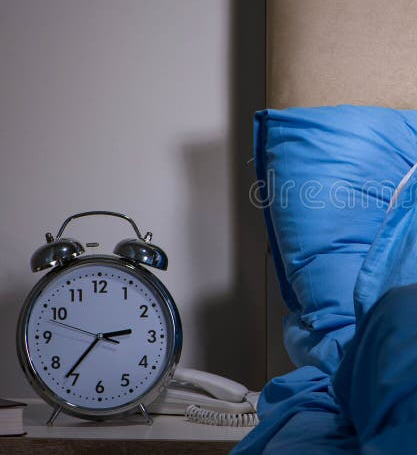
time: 2:36
